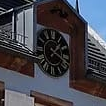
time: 1:18
